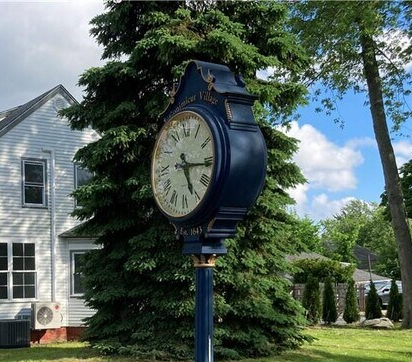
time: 5:16
